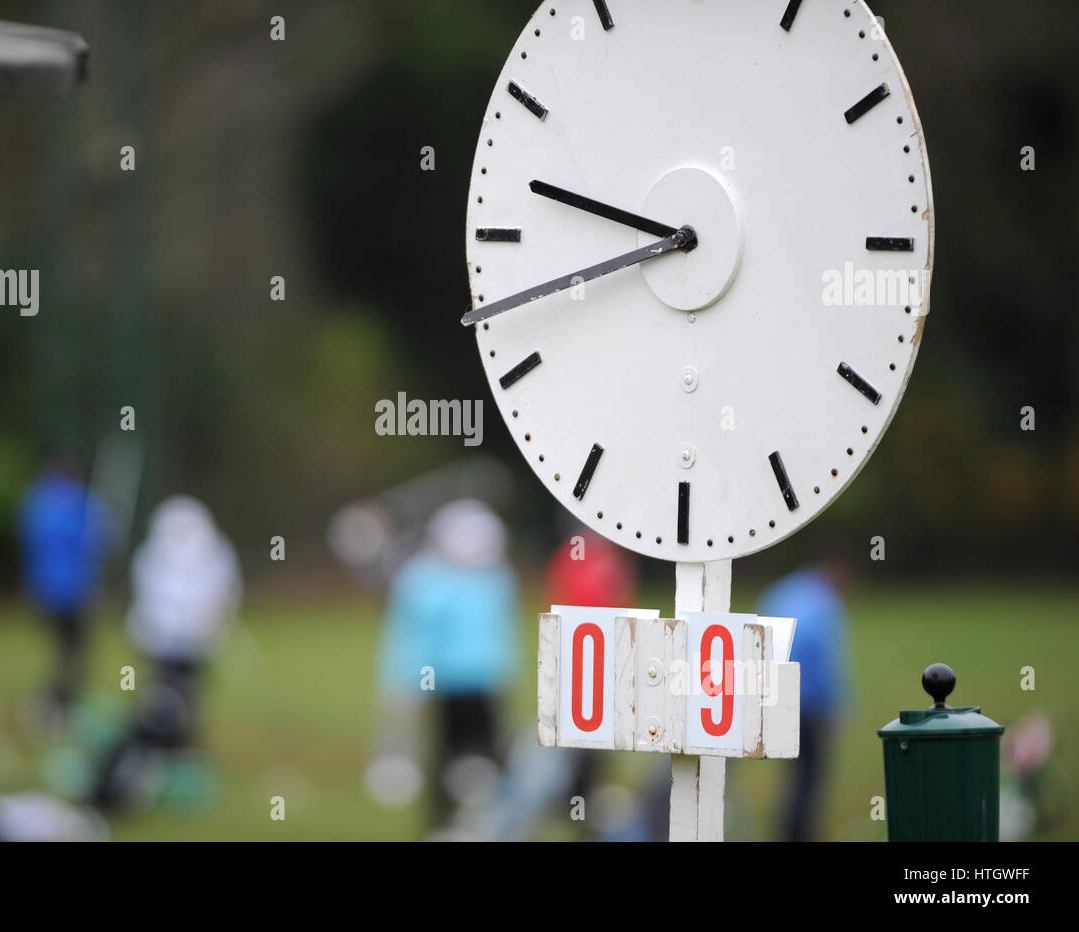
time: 9:42
